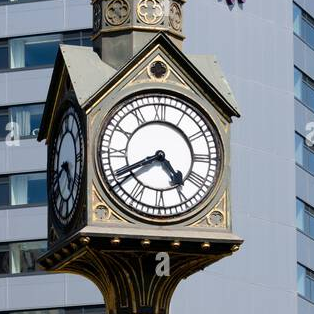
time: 4:40
